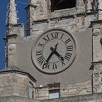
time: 4:35
